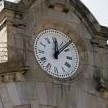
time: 12:07
